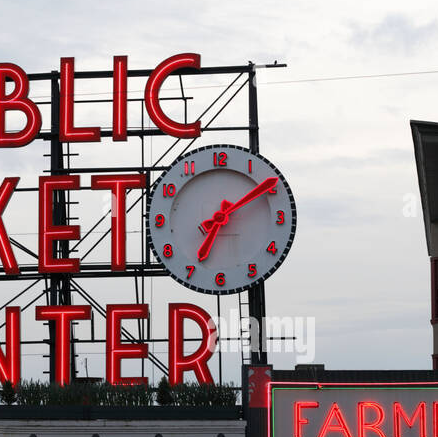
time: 7:09
